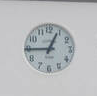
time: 12:44
